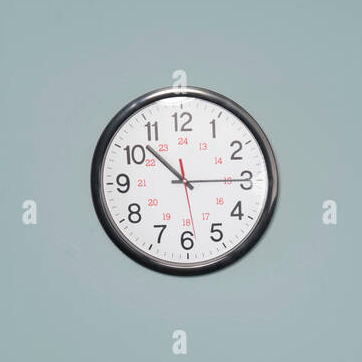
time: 10:14
